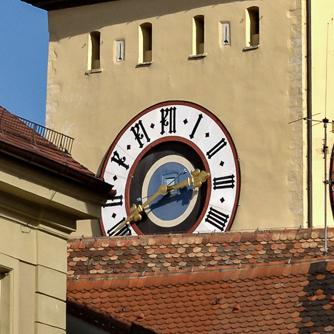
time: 2:40
